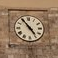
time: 4:54
